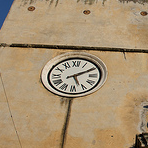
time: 5:10
